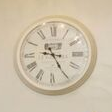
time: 9:24
